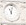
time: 11:02
